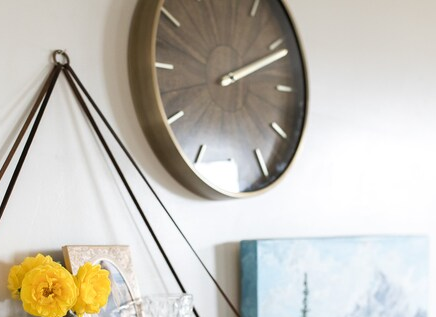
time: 2:11
